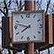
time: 7:47
